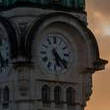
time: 5:22
